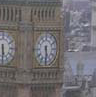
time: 5:30
